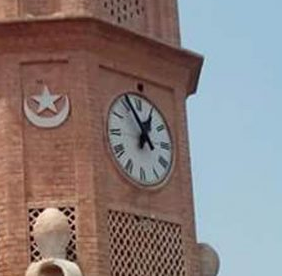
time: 12:55
